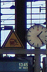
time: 1:23
